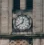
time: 12:40
